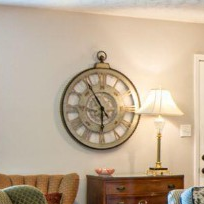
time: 5:54
